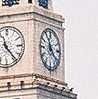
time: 11:21
